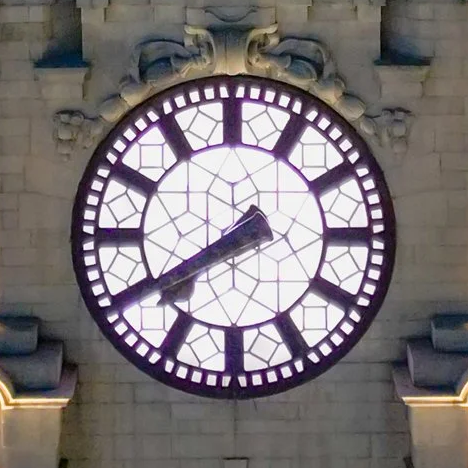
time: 7:40
